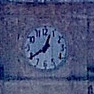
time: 12:39
